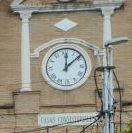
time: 12:08
